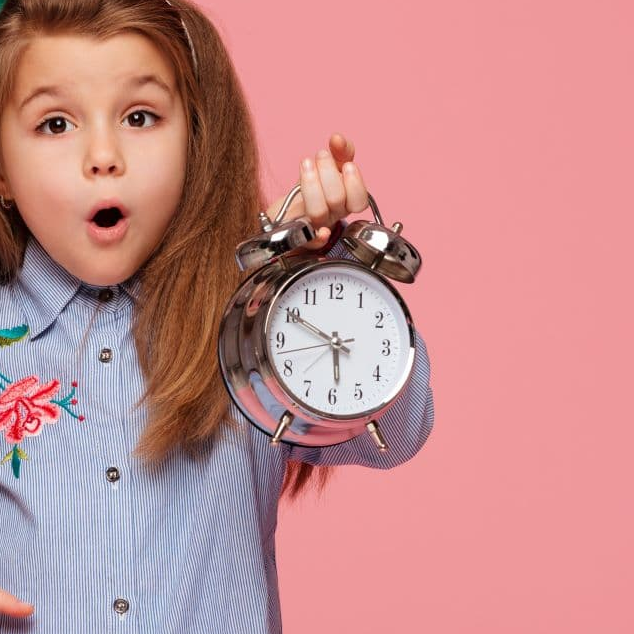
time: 5:49
